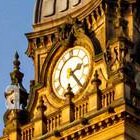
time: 2:23
